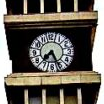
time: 7:25
